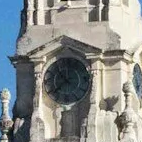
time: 10:38
